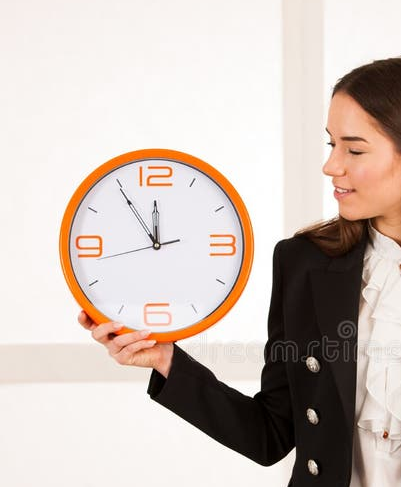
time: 11:54
